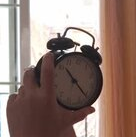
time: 10:22
